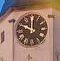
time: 10:00
